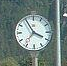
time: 3:55
